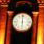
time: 6:00
